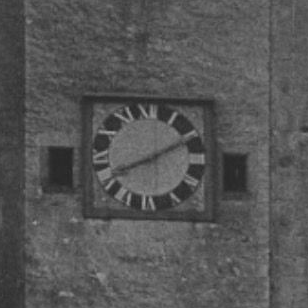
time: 8:10
